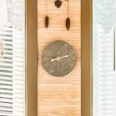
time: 8:12
